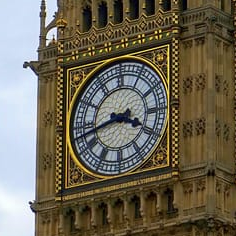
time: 3:42
